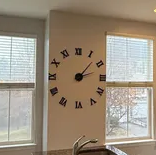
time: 2:07
